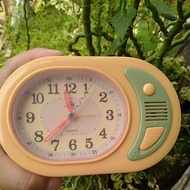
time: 11:37
